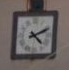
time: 4:10
